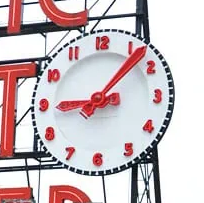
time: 9:07
